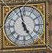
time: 4:57
